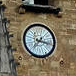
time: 7:17
